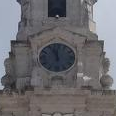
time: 11:56
